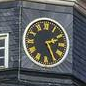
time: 2:26
